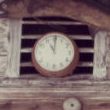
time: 11:00
